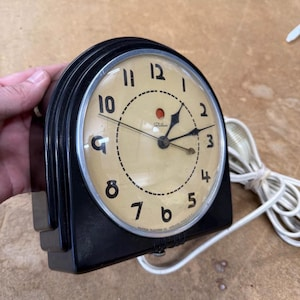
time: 1:12
